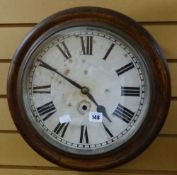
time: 4:50
